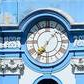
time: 7:07
